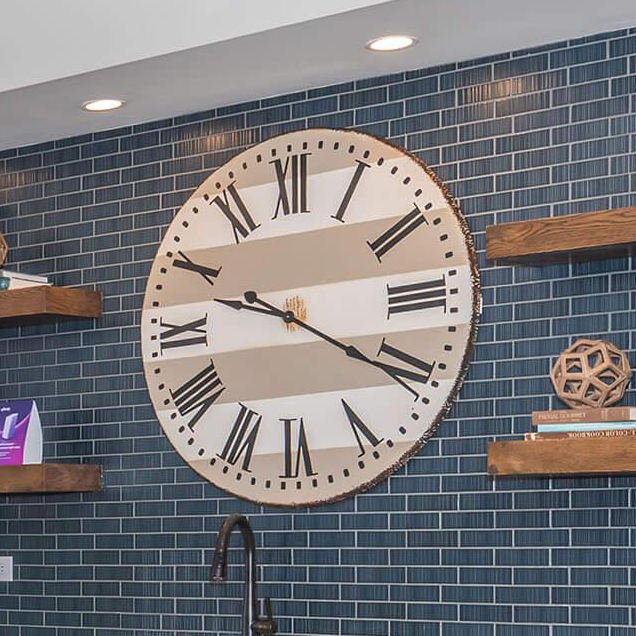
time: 9:20
